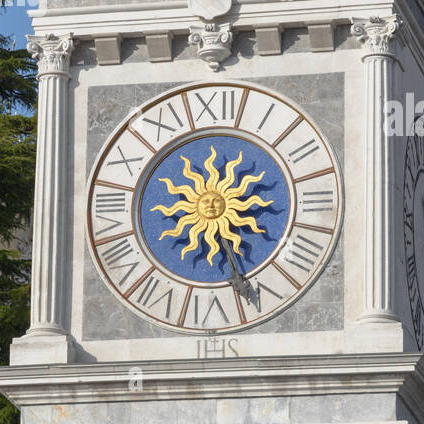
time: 3:26
